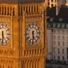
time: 5:30
